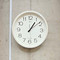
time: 1:08
